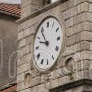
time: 10:47
